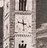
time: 9:28
